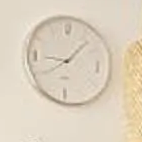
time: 9:07
